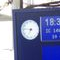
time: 6:46
